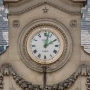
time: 2:02
